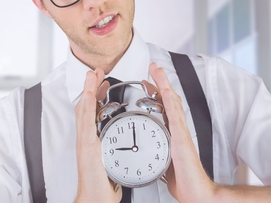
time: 9:01
